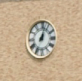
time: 1:02
